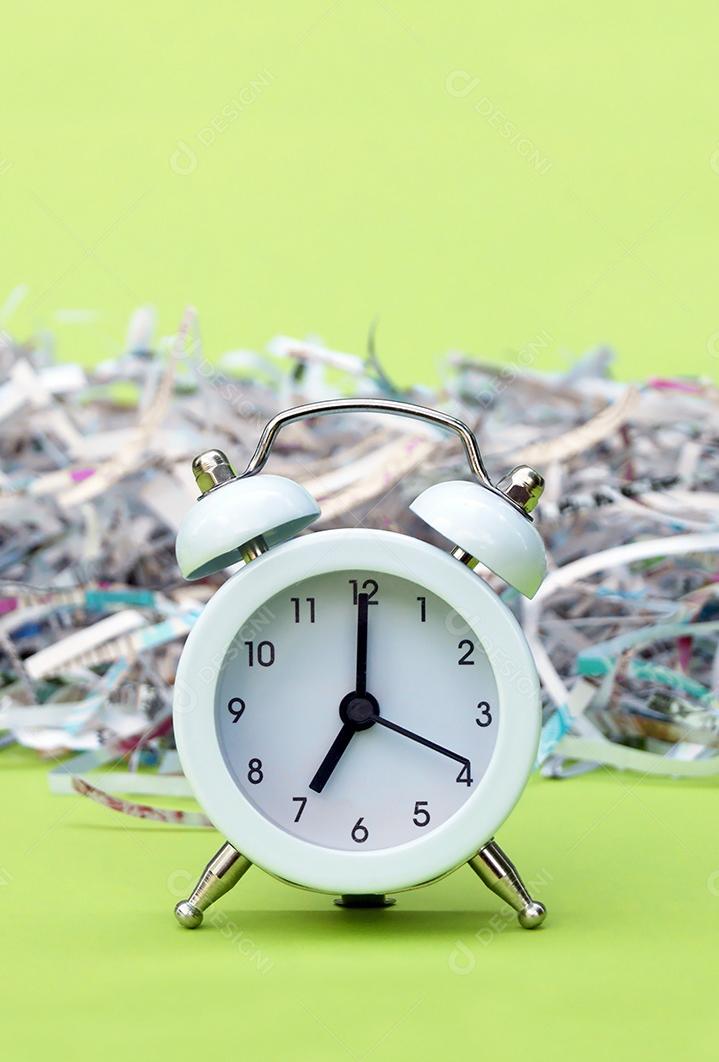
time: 7:00
